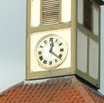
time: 12:21
